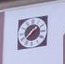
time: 1:37
